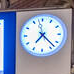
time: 7:22
